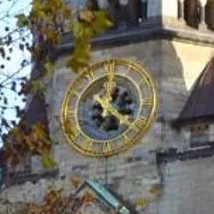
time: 12:21
